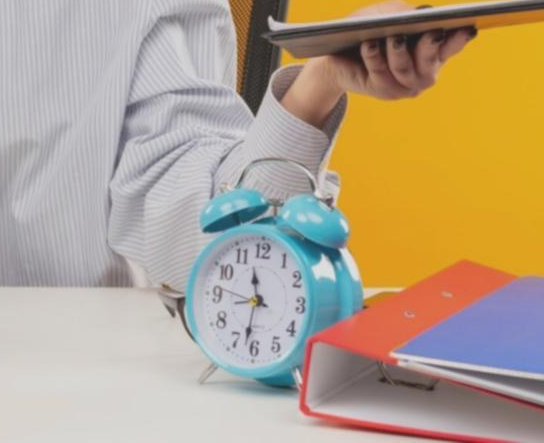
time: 11:32
